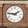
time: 1:46
